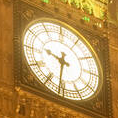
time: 9:31
